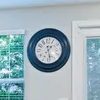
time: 1:28
